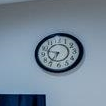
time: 9:35
